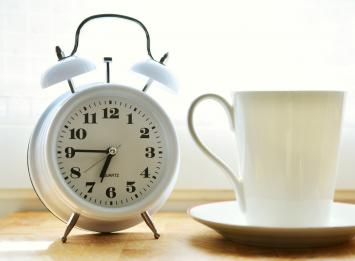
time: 6:45
